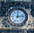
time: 12:13
